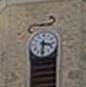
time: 3:31
